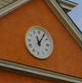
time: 11:05
